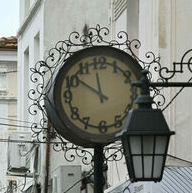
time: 11:51
